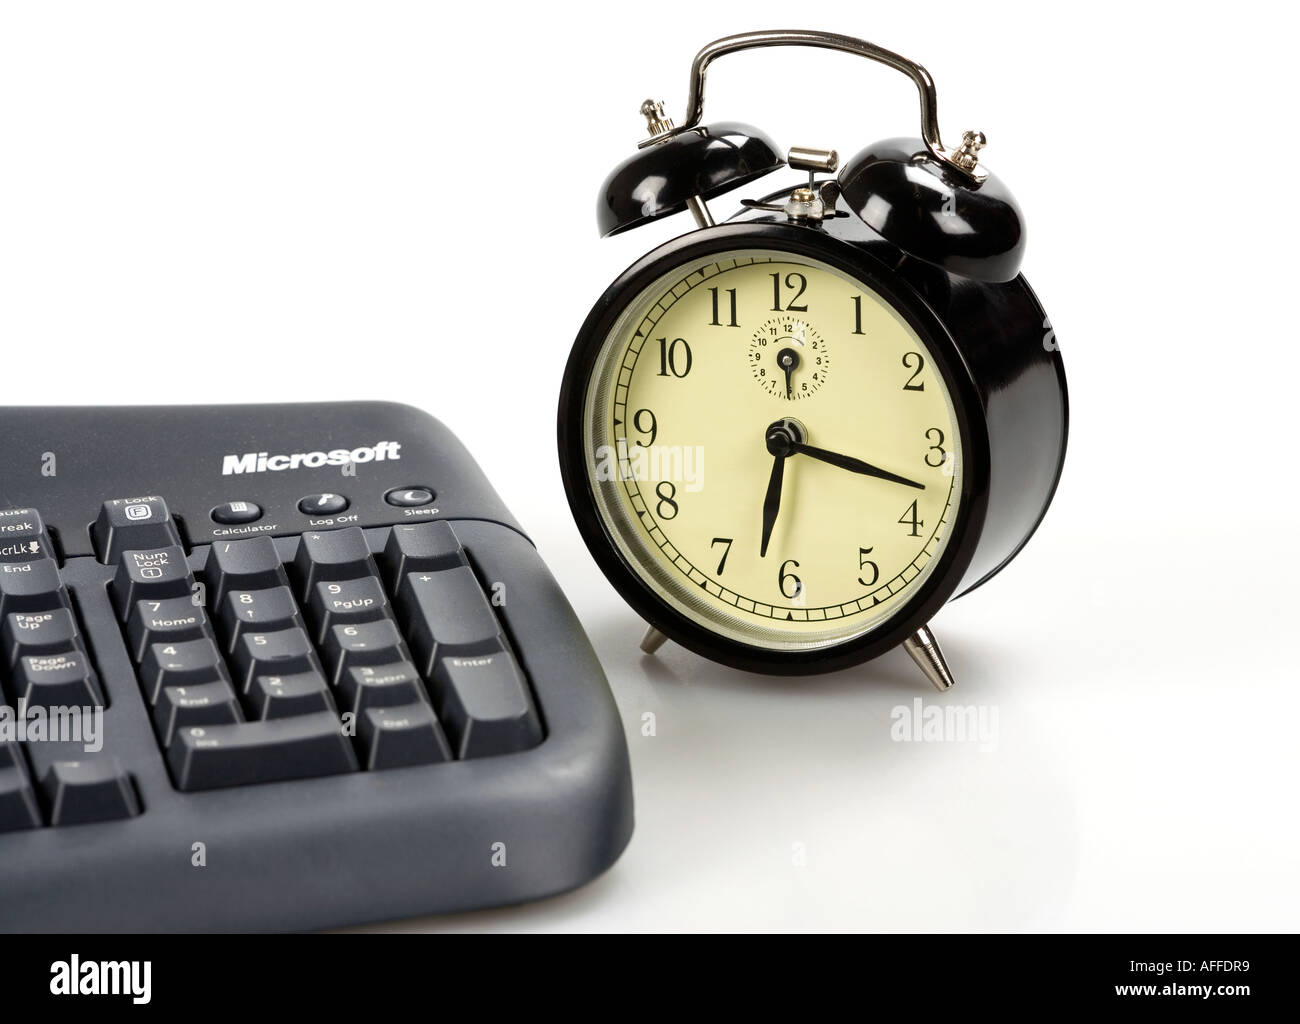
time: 6:17
